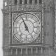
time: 4:56
